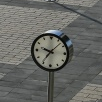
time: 9:35
